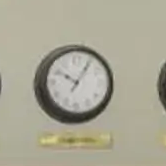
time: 10:05
